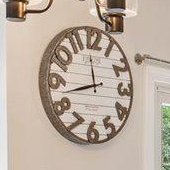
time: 11:42
